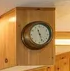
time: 11:26
